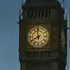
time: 7:58
